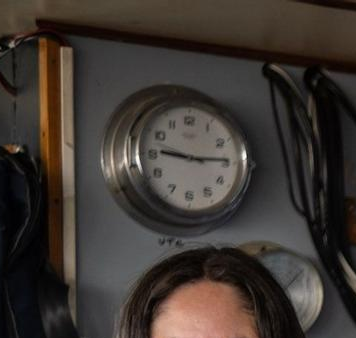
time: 9:14
